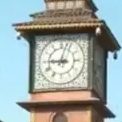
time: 9:02
